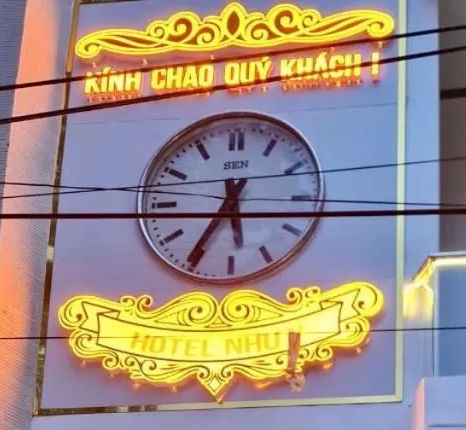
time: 5:35
